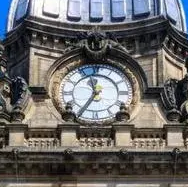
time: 11:35
